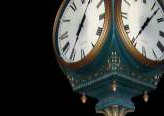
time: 7:04
